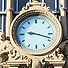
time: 9:18
